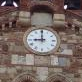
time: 9:00
